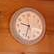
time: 9:32
